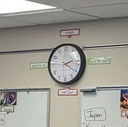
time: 2:20
